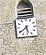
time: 5:38
